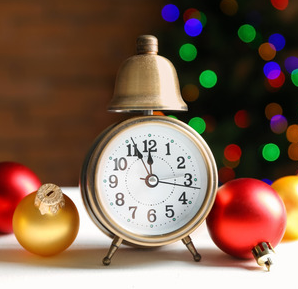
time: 11:55
